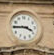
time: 3:45
